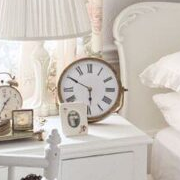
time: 5:49
